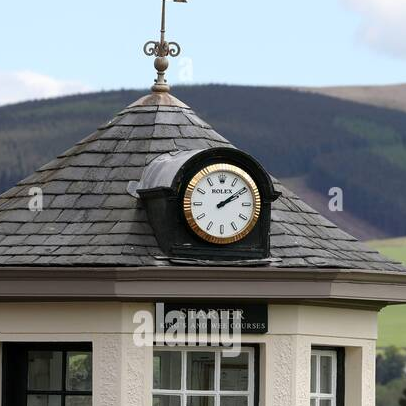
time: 2:09
